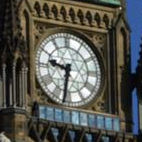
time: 9:31
